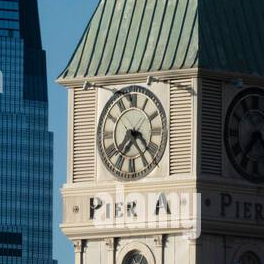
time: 7:23
